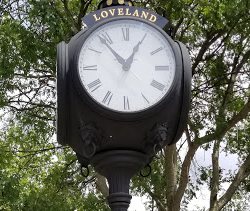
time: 12:53
